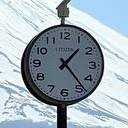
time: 1:23
